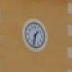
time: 1:32
